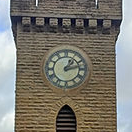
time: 1:13
